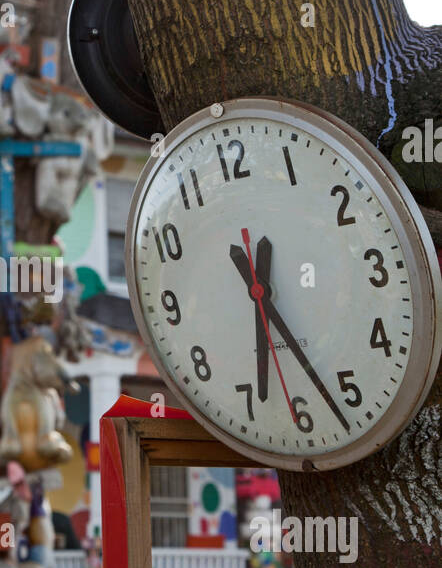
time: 6:26
